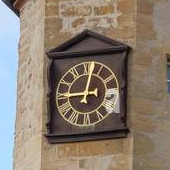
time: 9:01
